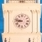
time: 8:47
